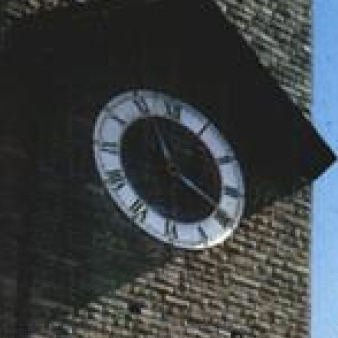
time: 11:19
